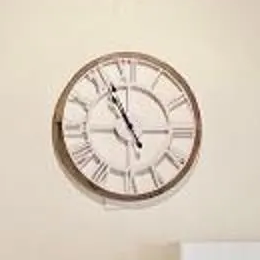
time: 10:56
